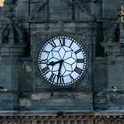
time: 8:32
